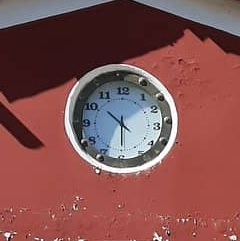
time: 10:29
